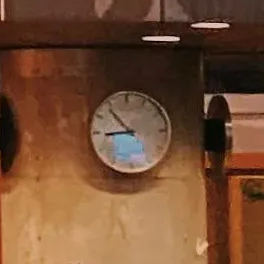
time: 8:53
